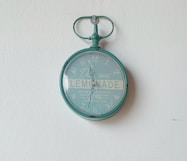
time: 11:32
